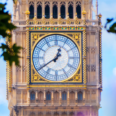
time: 12:39
